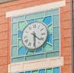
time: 4:29
